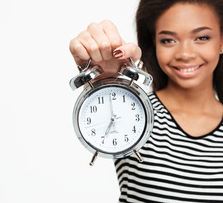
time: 6:59
